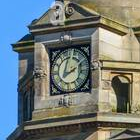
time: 2:02
